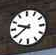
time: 9:39
